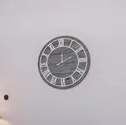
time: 12:10
